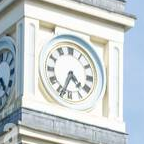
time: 4:33
